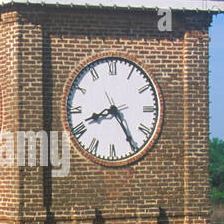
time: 8:24
